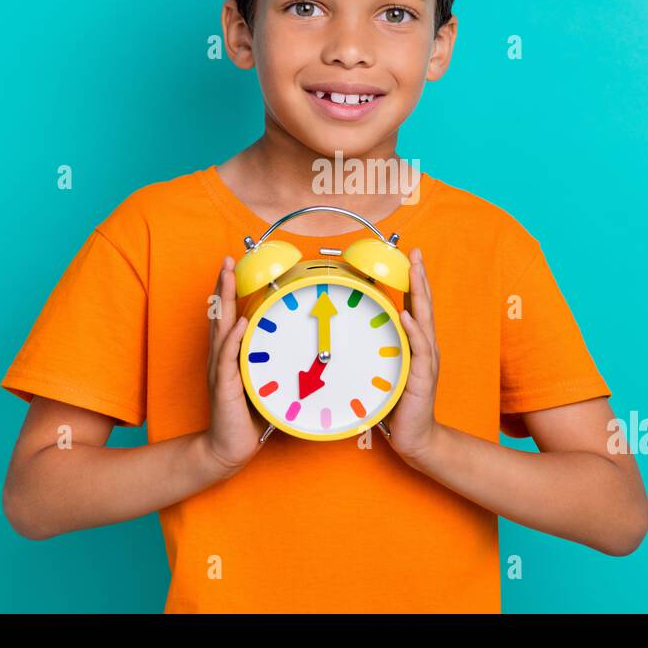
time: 7:00
